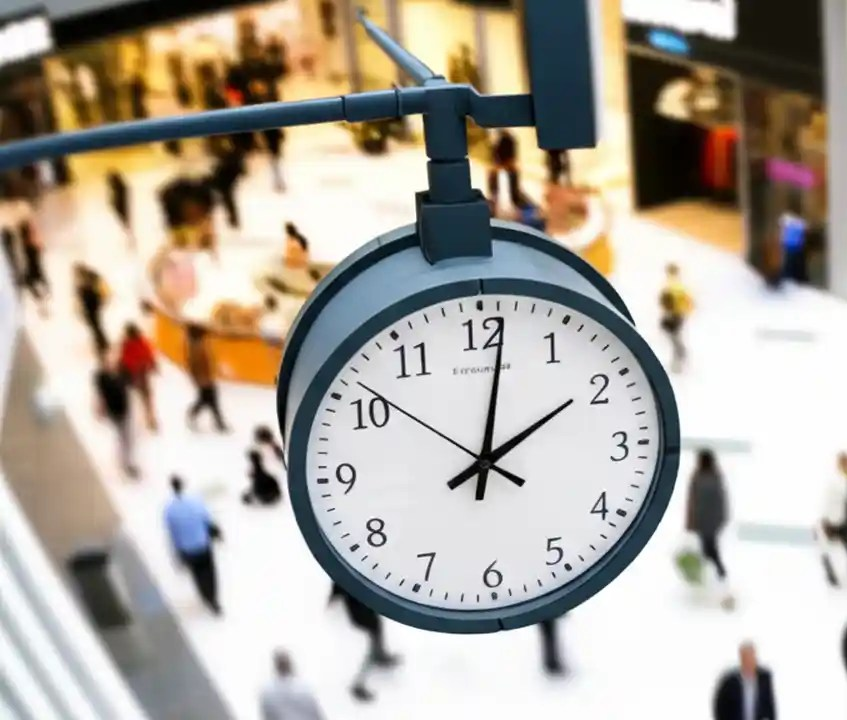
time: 2:01
